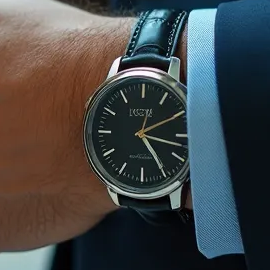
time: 12:24
